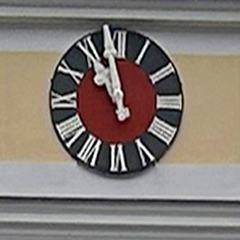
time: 10:58
